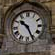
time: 10:26
